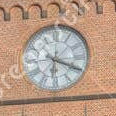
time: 6:18
